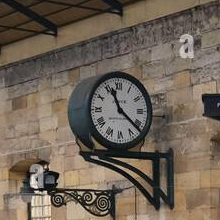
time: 11:21
